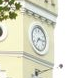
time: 7:15
